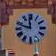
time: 11:47
